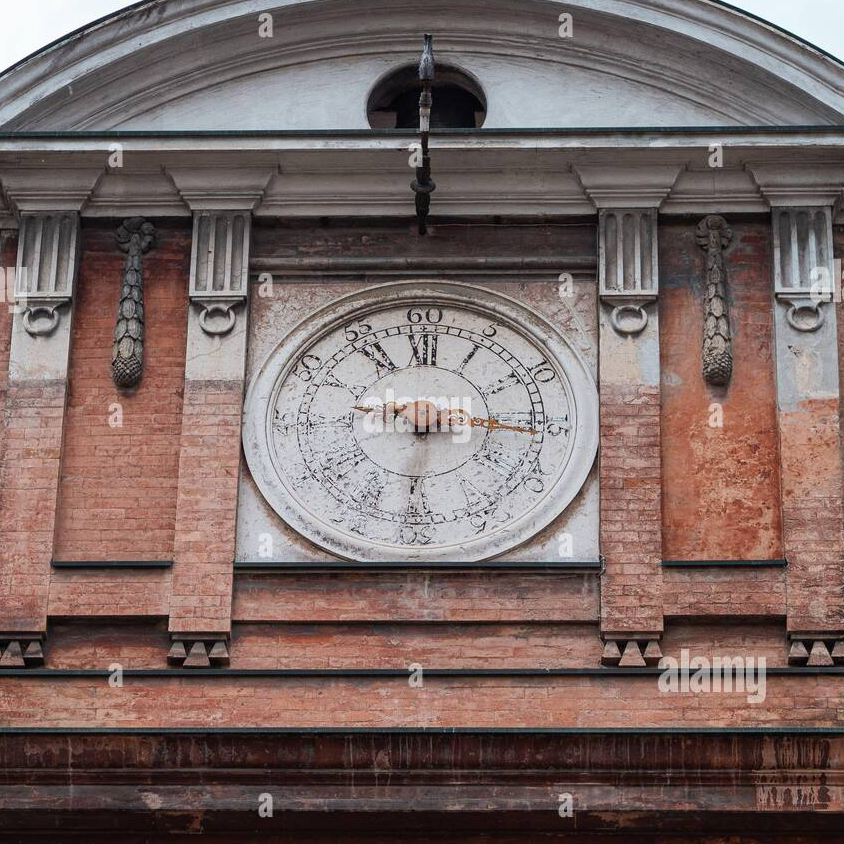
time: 6:15
